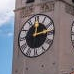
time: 12:13
